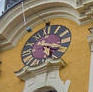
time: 5:18
